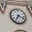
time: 7:18
